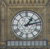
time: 1:12
